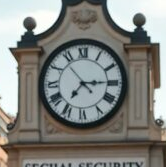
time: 7:14
